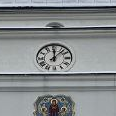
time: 12:07
